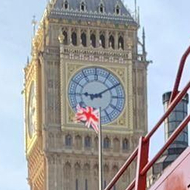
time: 9:10
